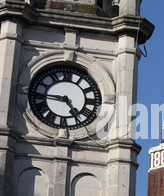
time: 4:44
